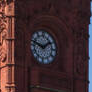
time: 1:47
